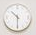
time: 10:30
